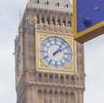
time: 2:06
